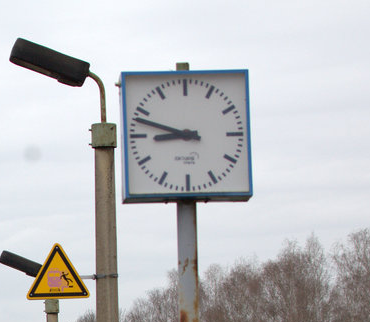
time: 8:48
